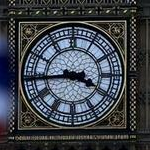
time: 3:43
